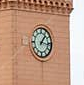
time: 1:16
